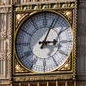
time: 3:04
